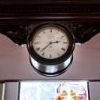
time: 2:37
